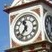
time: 11:36
